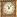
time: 11:07
